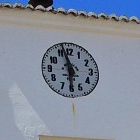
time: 5:57
